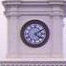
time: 4:09
